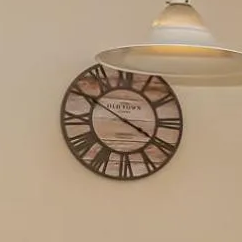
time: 3:50
